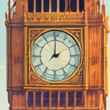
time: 2:00
